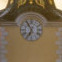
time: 6:54
